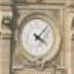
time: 4:07
